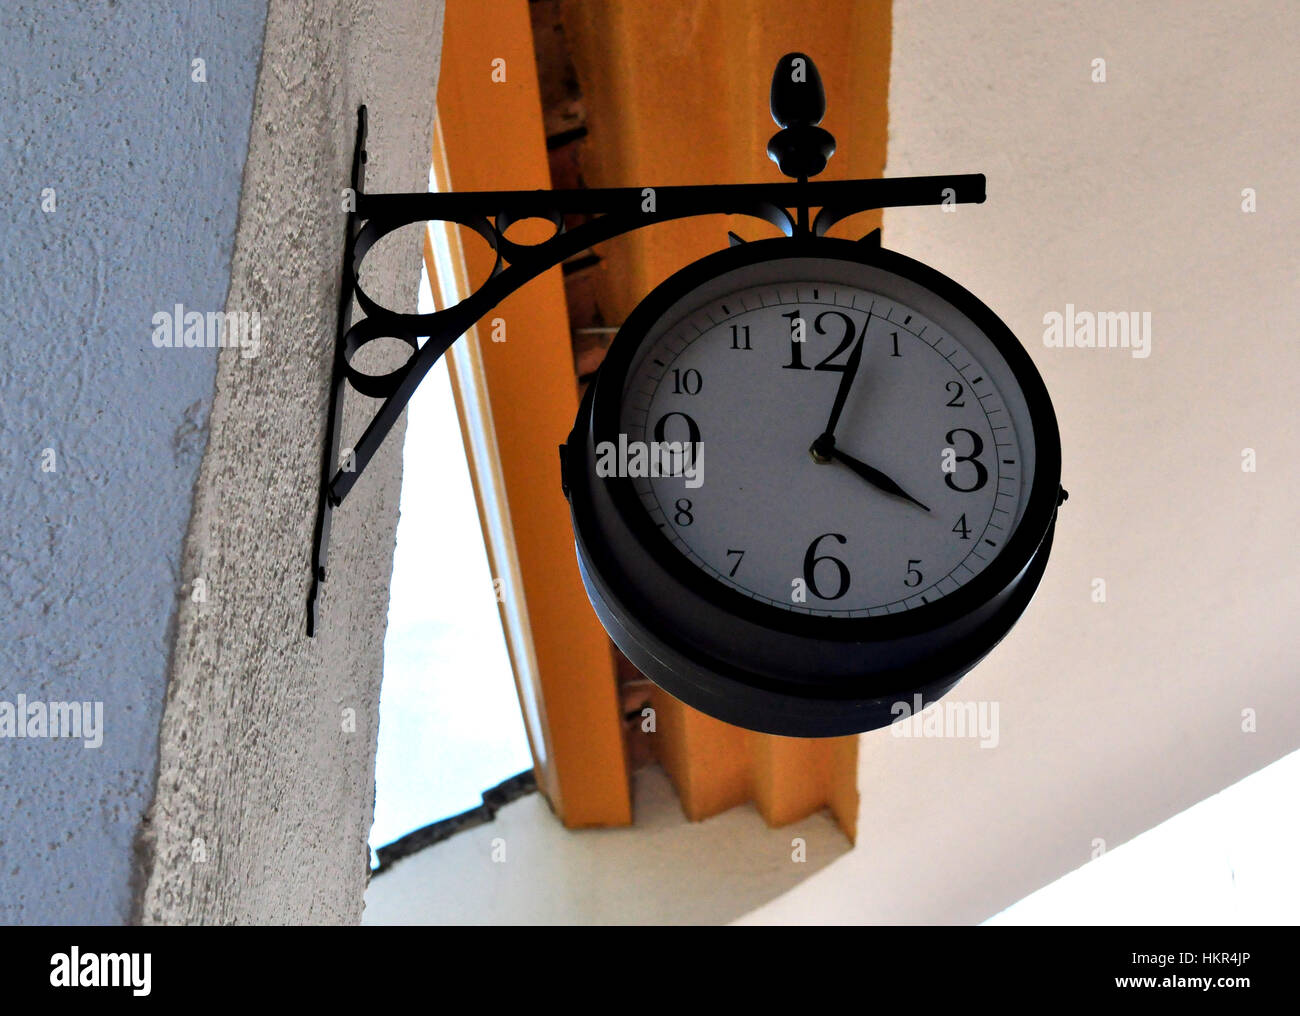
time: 4:02
